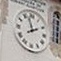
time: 1:57
